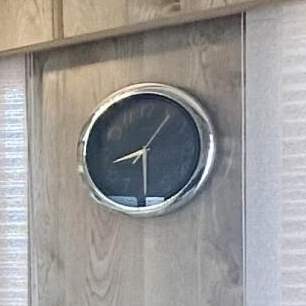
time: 8:29
